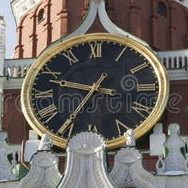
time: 9:35
